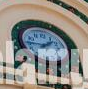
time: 1:45
